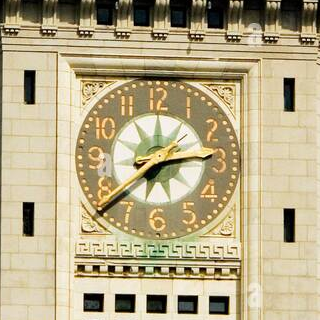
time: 2:38
